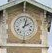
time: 2:02
